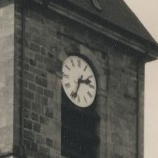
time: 2:33
